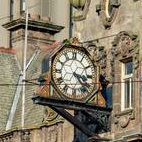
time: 3:22
